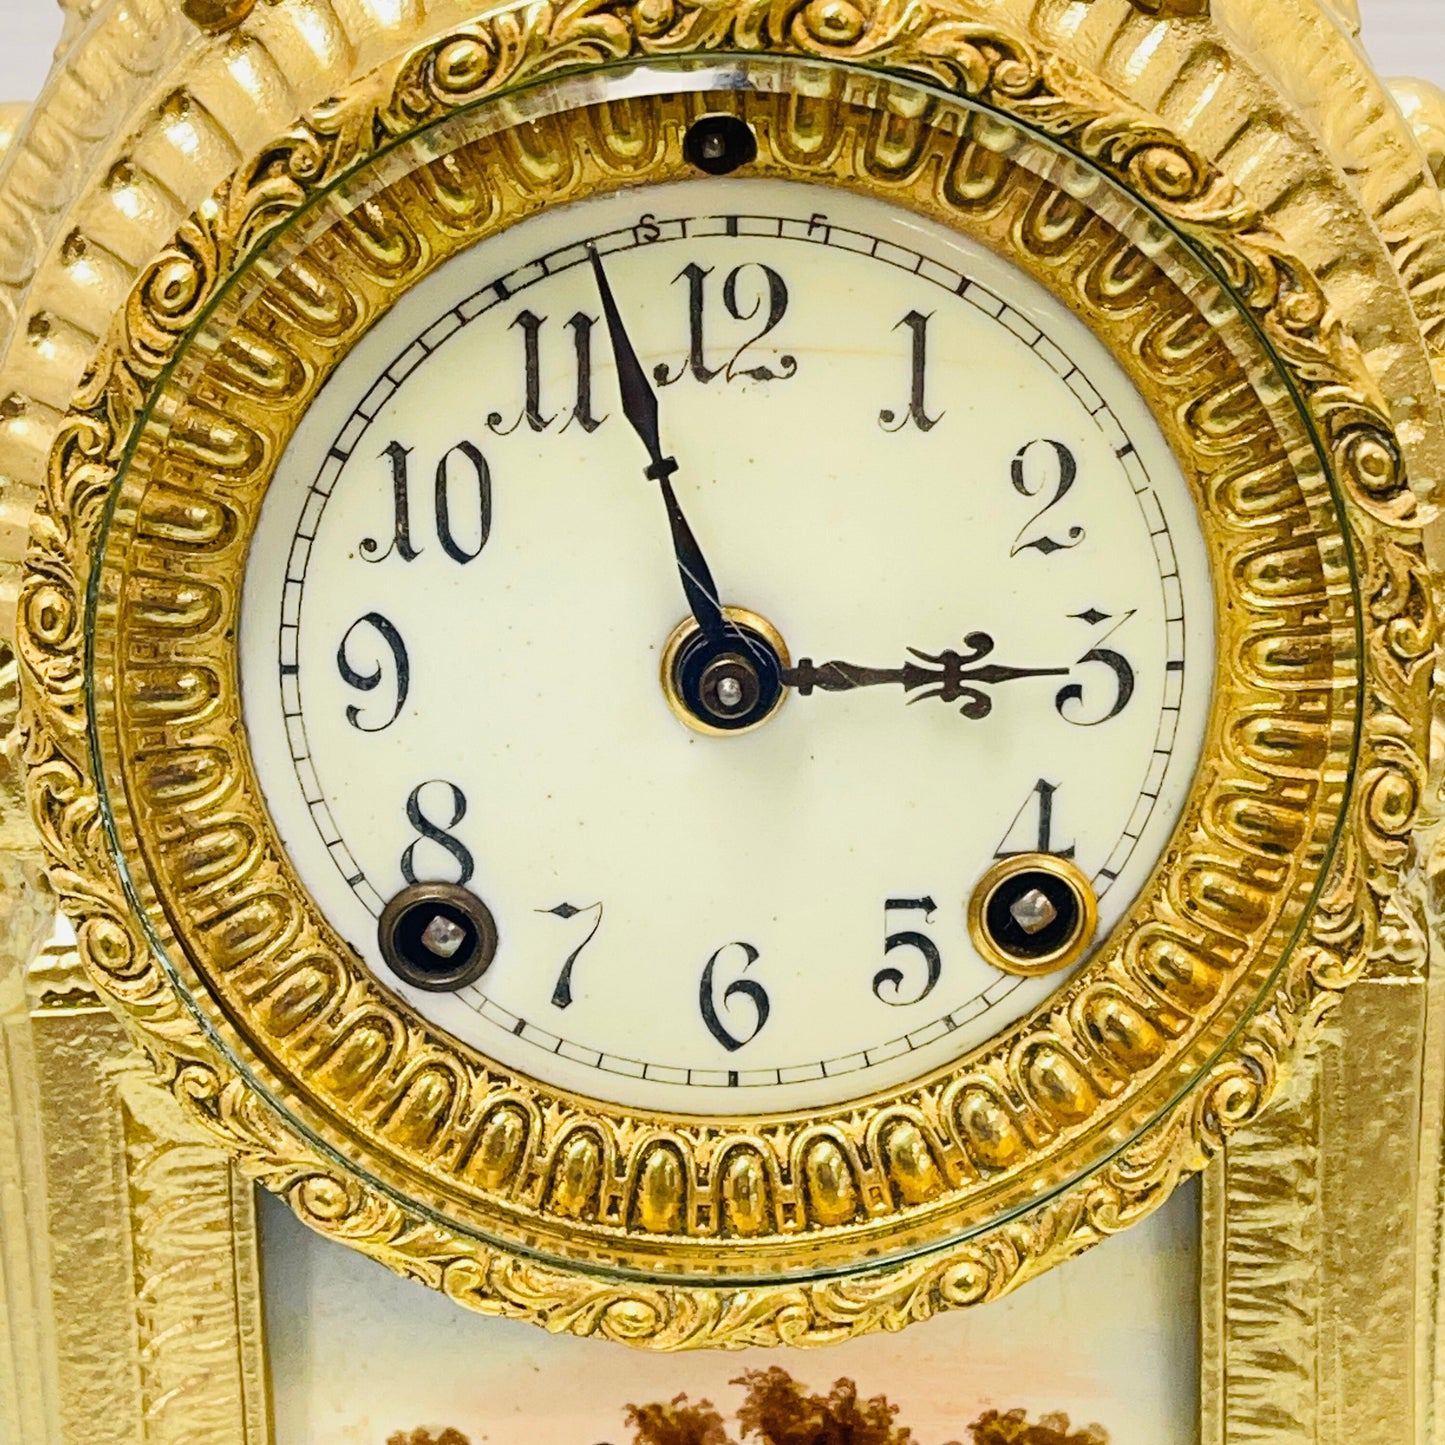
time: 2:57
